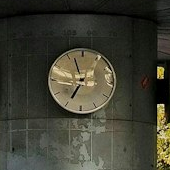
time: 6:56
